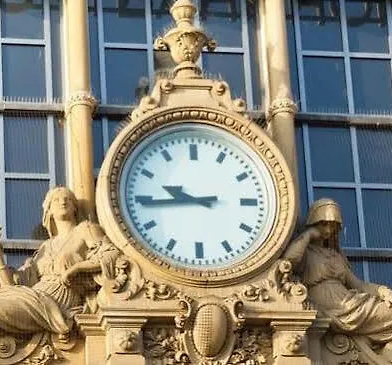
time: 9:44
